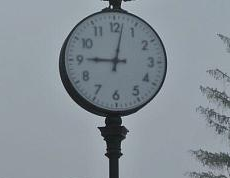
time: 9:01
